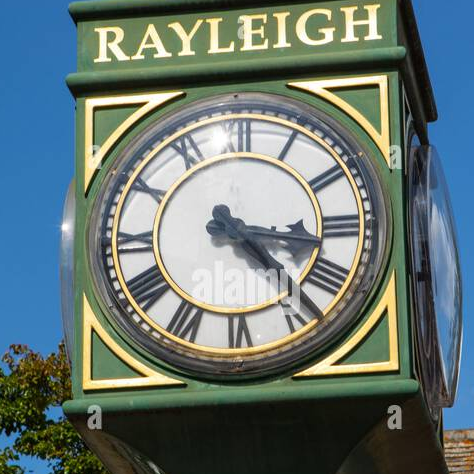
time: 3:22
